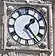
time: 1:23
